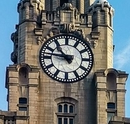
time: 10:46
